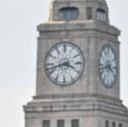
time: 3:42
